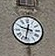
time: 9:32
